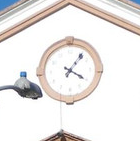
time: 4:06
